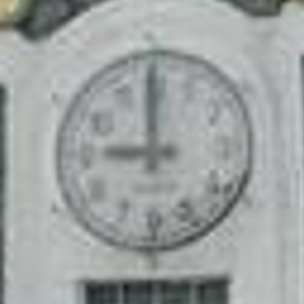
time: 8:59
